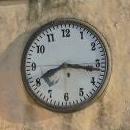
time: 8:16
